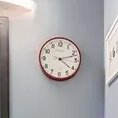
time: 4:12
